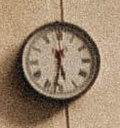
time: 5:31
